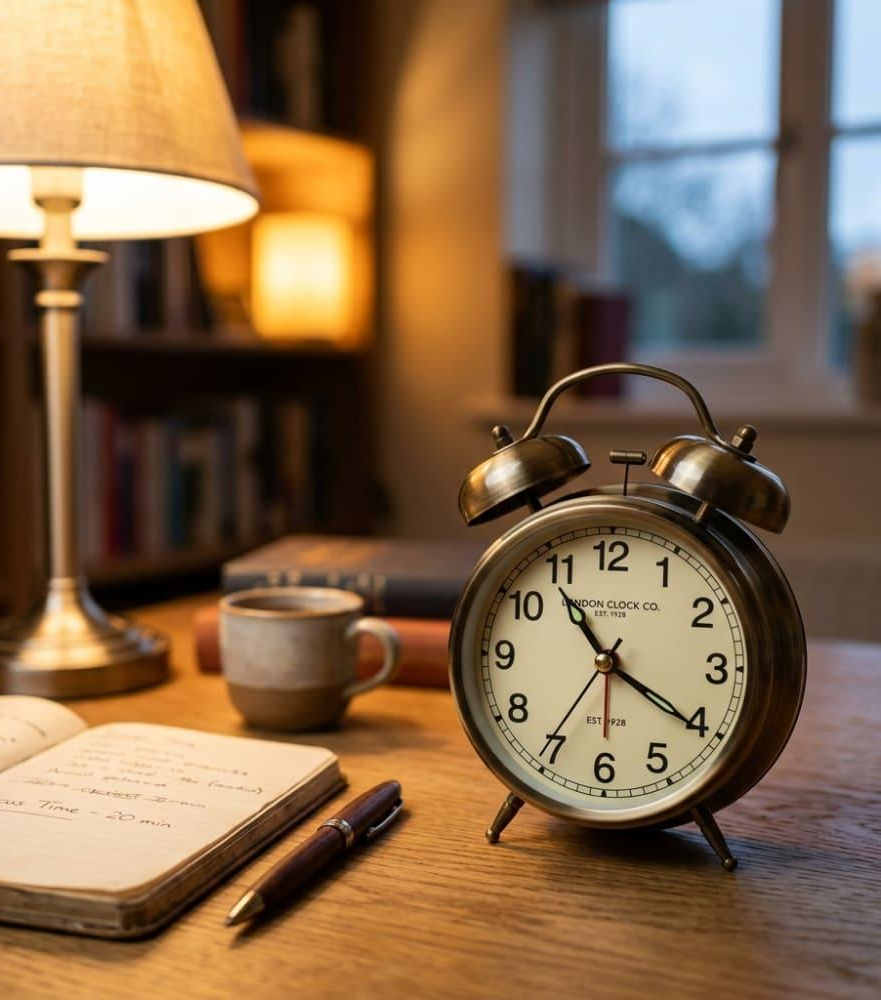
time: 10:20
